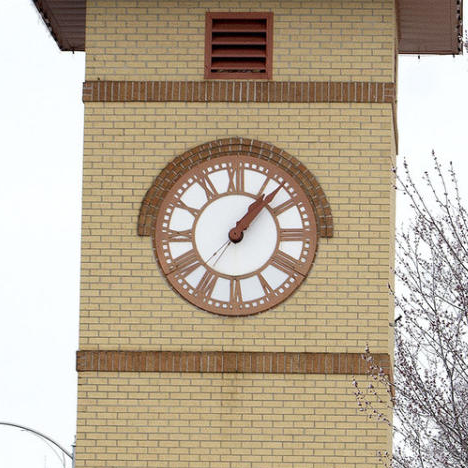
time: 1:07
